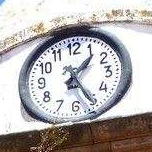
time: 1:24
